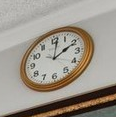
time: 2:01
